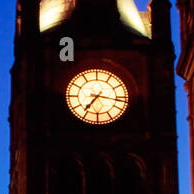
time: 7:16
